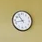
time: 10:42
